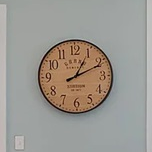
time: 1:10
